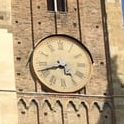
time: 4:42
